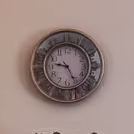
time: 9:25
